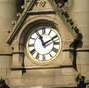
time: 11:10
